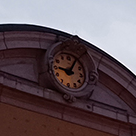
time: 9:04
